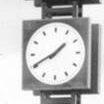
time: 1:40
